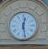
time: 12:28
